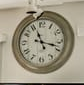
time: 11:17
